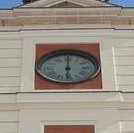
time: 6:00
